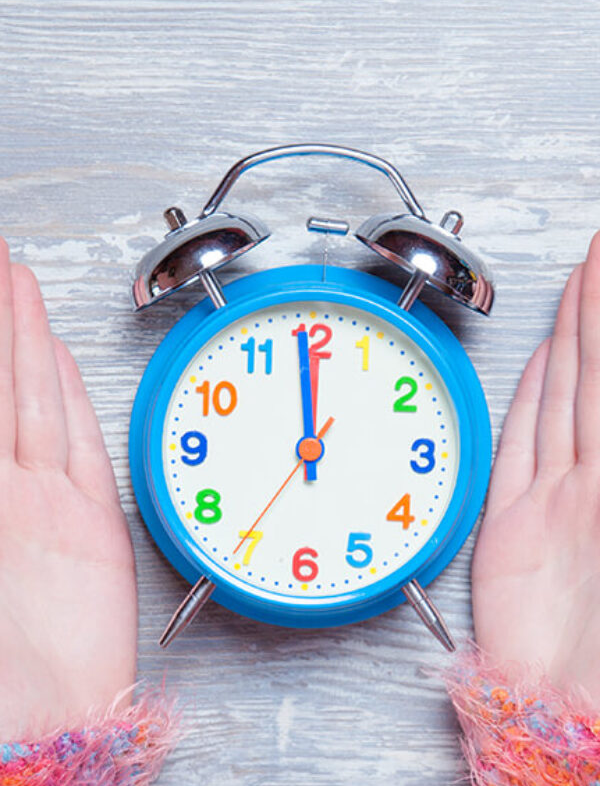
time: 11:59
